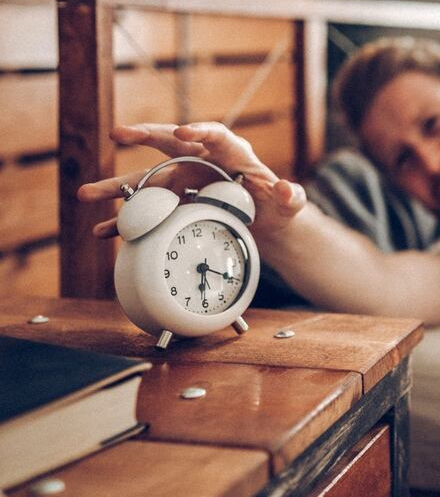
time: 6:19
